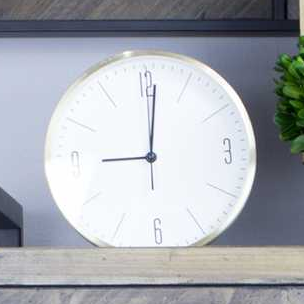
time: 9:01
